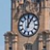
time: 12:05
